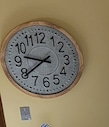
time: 9:39
